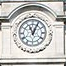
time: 11:04
